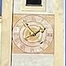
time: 1:54
